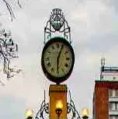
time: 6:03
